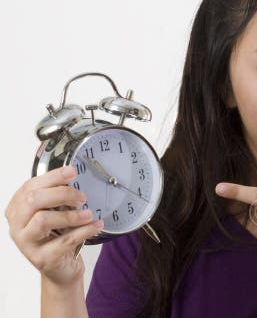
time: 10:20
